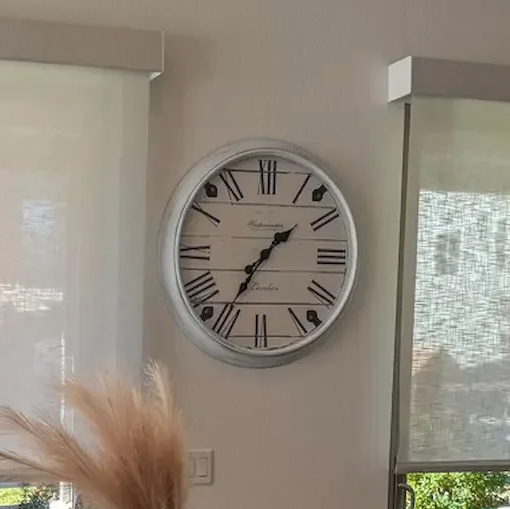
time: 1:35
